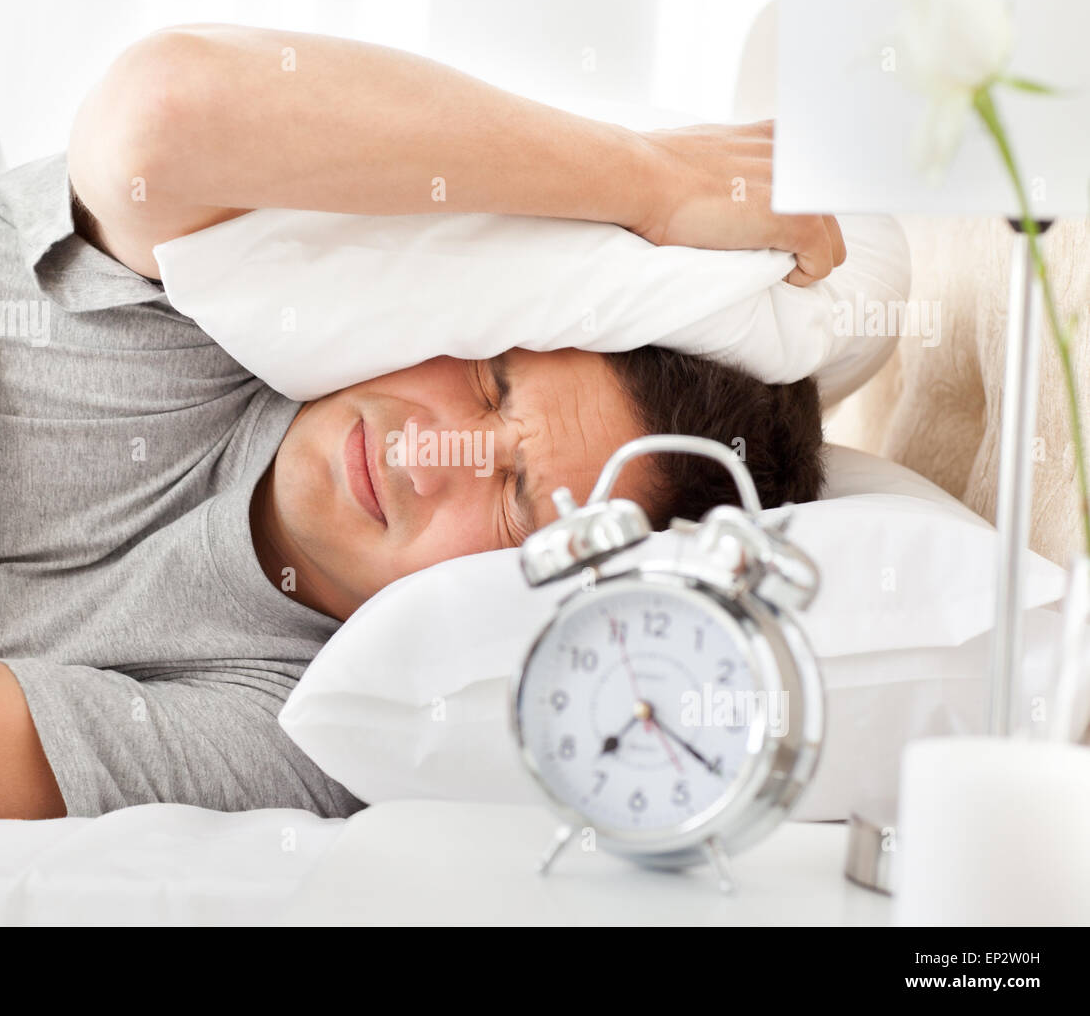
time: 7:20
